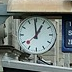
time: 12:59
